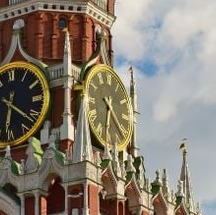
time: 6:21
